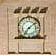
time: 7:08
